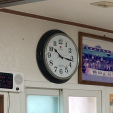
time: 10:17
